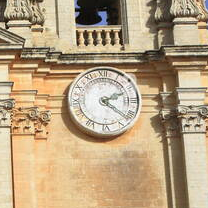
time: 2:21
